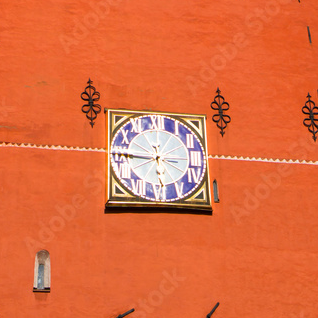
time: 5:45
